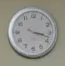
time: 3:17
